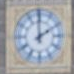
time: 1:59
